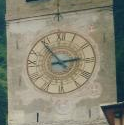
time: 2:53
